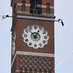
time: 12:52
